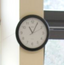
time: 11:04
